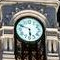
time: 5:48
